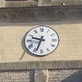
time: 9:33
